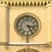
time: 3:24
